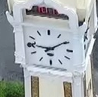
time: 9:09
